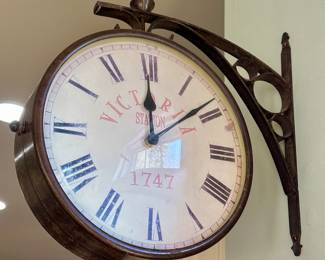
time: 12:08
